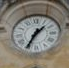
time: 1:34
